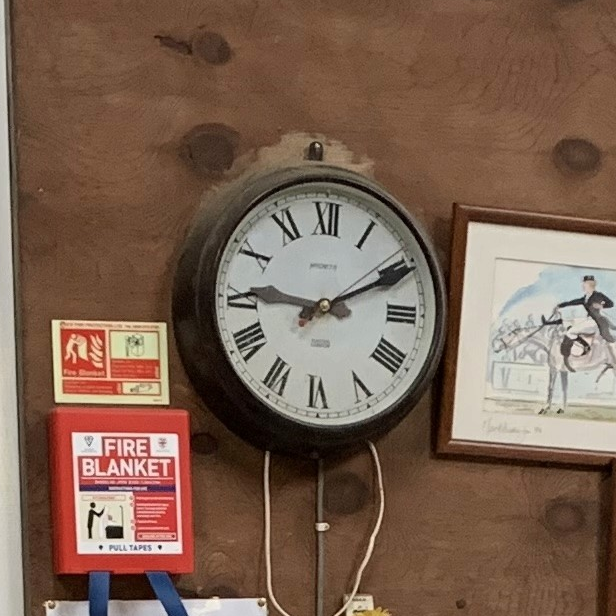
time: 9:10
